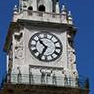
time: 10:34
